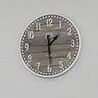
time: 1:29
